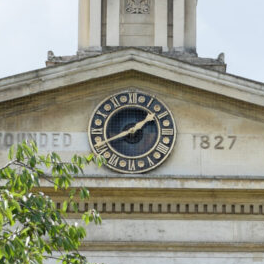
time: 1:40
